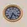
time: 4:33
